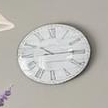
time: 10:14
